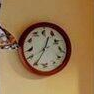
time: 12:35
